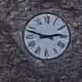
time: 2:47
